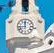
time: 11:44
